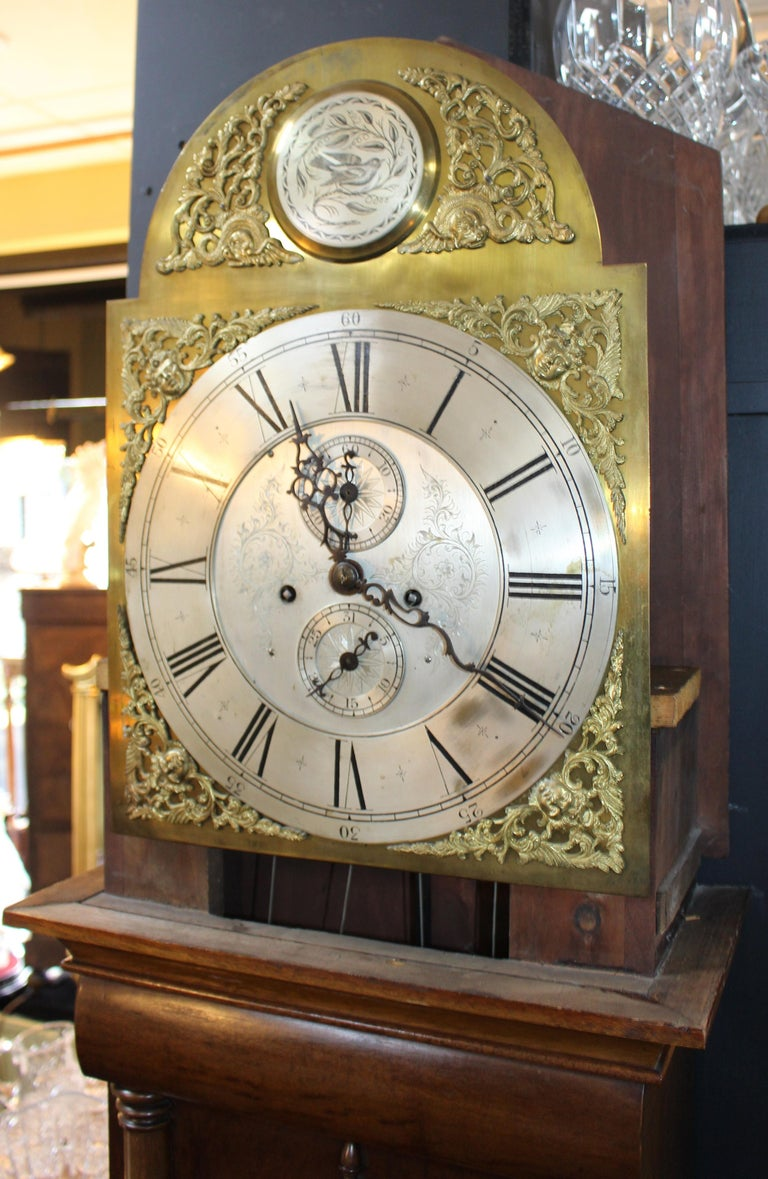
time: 11:19
